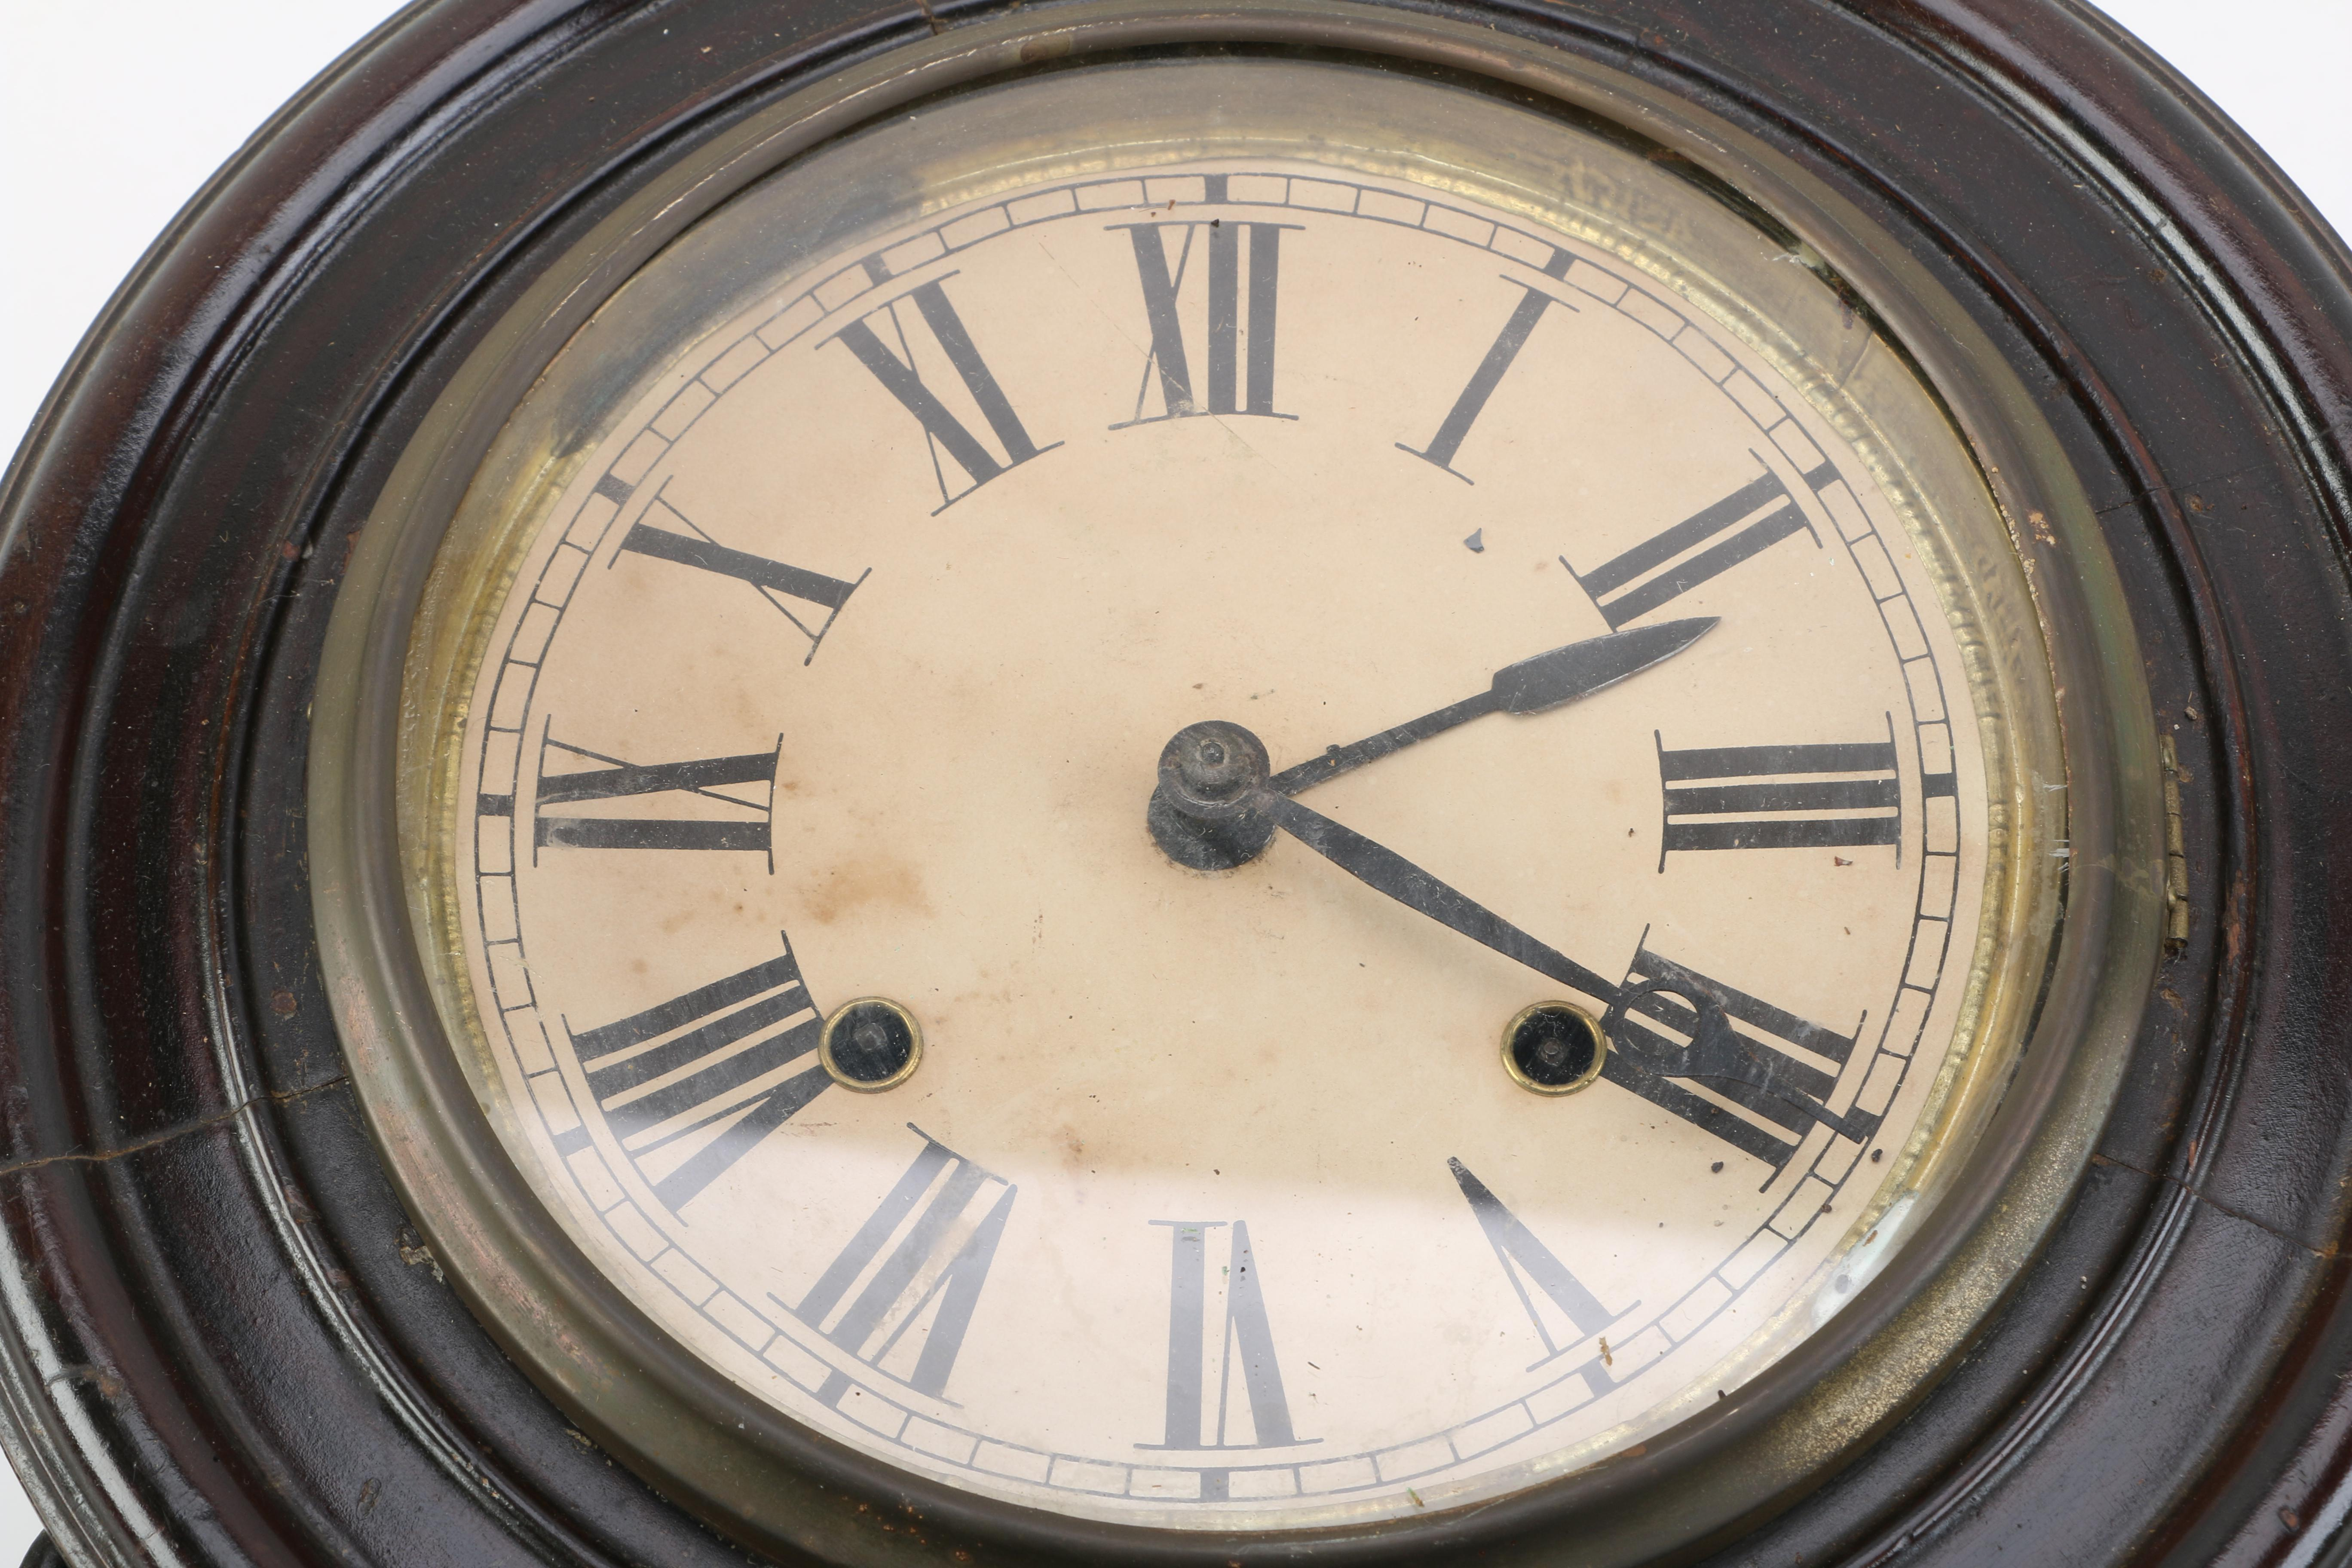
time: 2:19
